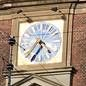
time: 4:35
